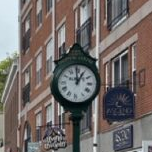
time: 12:59
